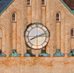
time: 8:12
